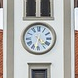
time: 4:31
